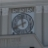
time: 11:41
